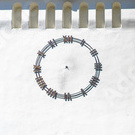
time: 6:32
